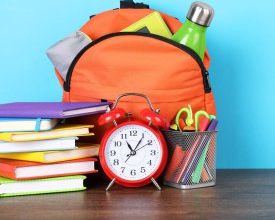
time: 11:05
